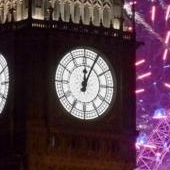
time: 12:04
